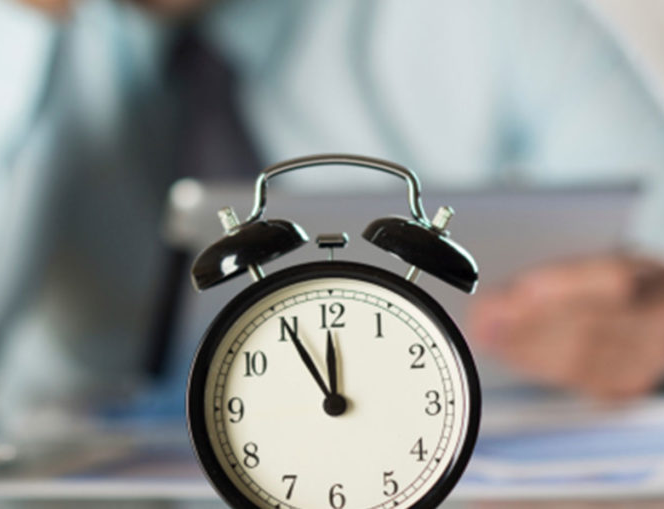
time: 11:55
